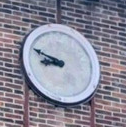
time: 8:47
